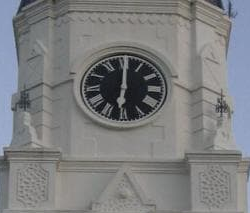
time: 6:00
